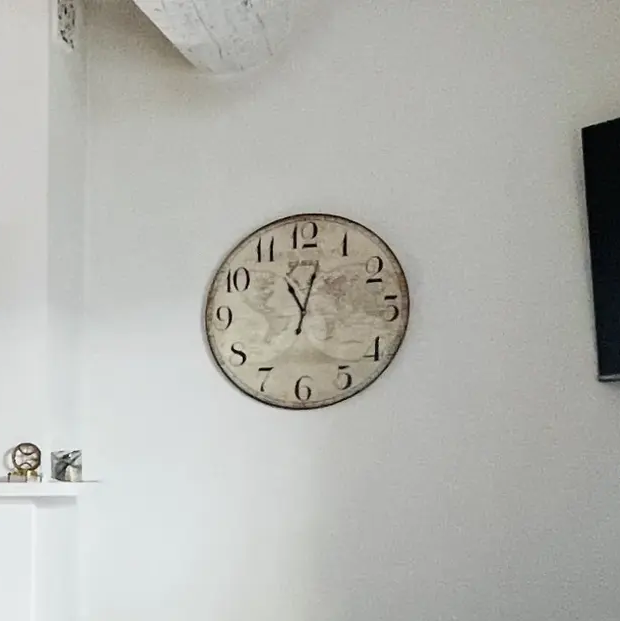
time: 11:02
